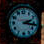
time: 2:16
